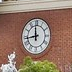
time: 11:43
